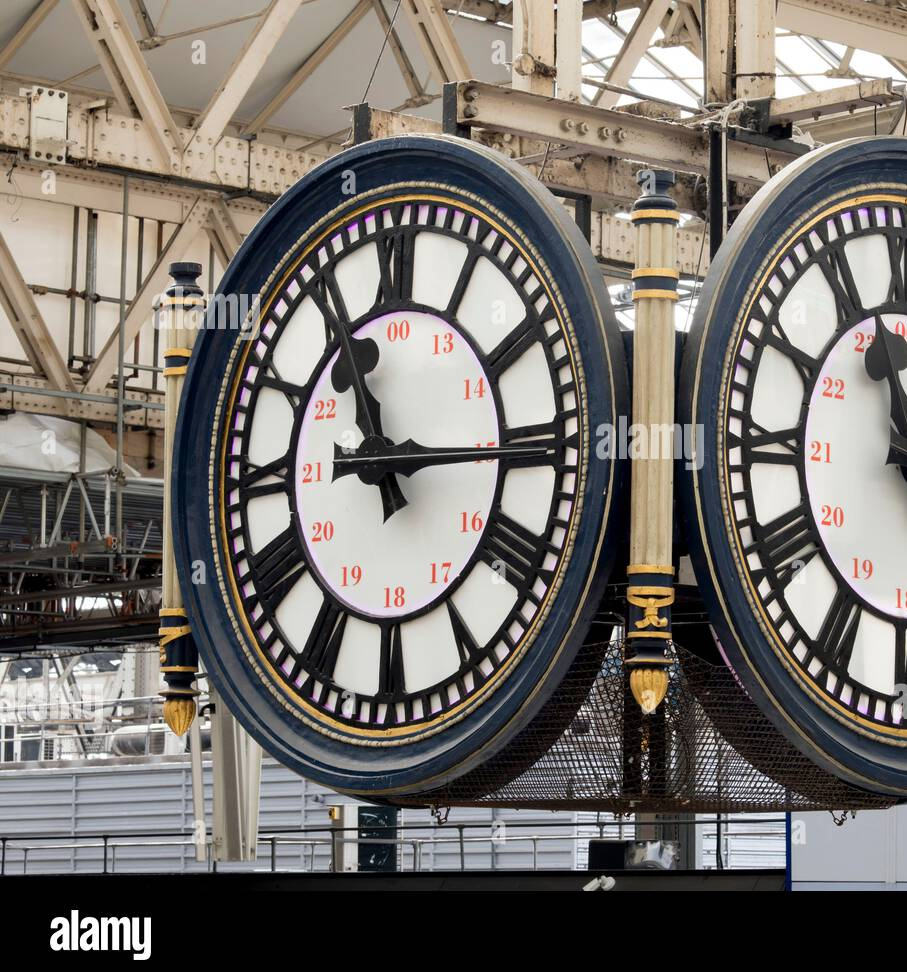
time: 11:14
